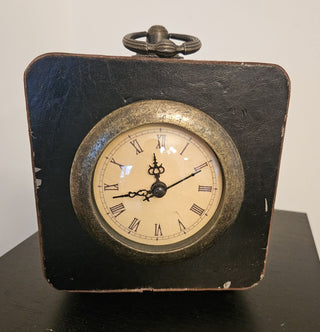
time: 11:42
